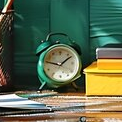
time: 1:46
